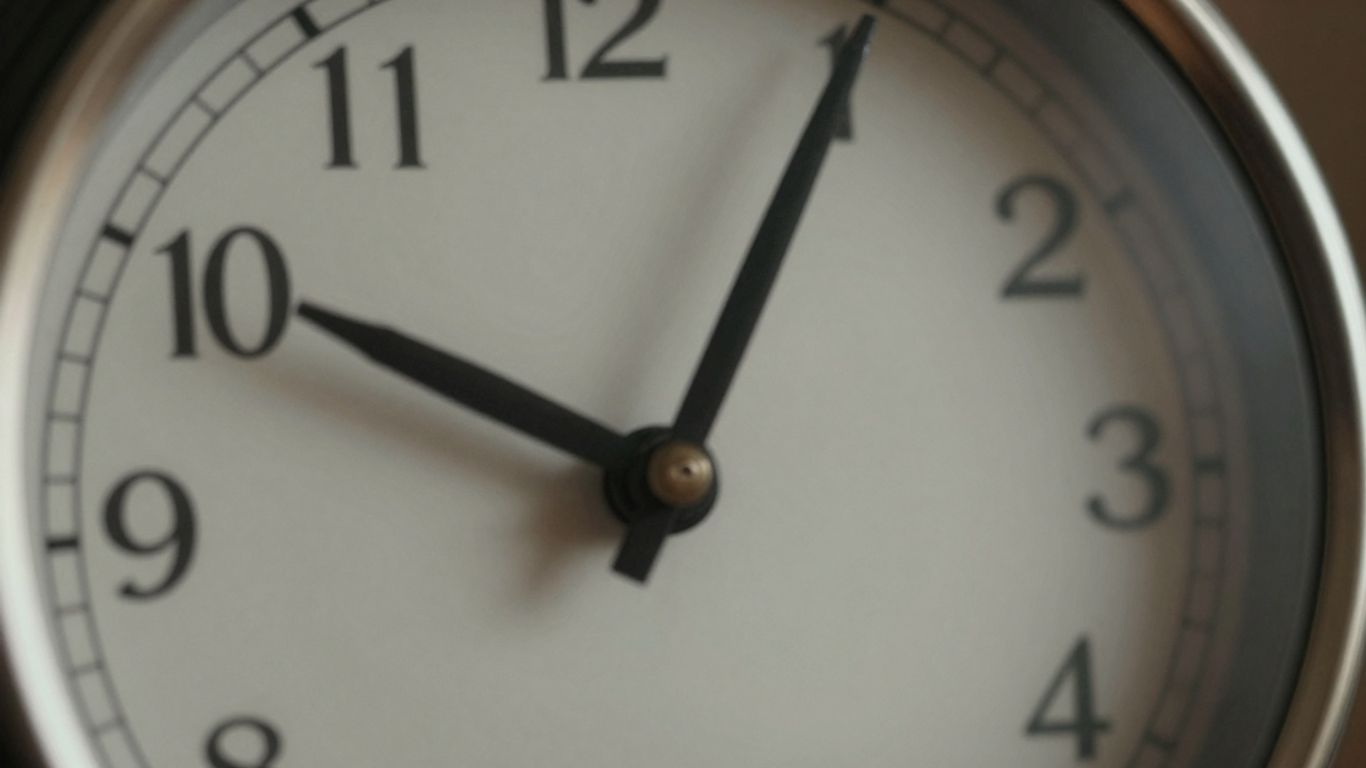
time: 10:04
